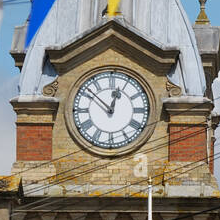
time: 12:52
